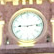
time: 9:13
